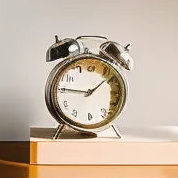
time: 1:46
